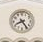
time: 8:24
